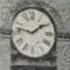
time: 1:46
